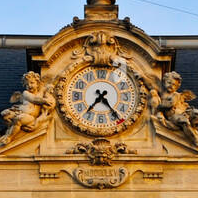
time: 7:23
